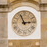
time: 2:56
